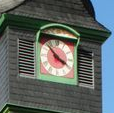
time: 3:52
